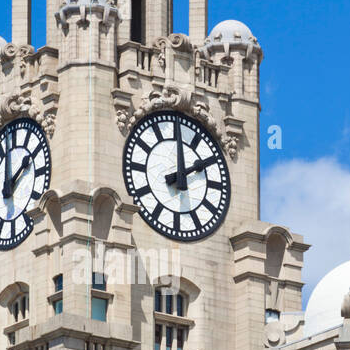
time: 2:00
